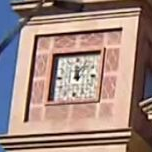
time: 12:06
